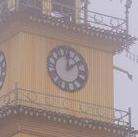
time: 12:09
